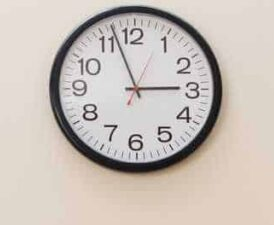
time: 2:56
